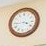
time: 3:44
